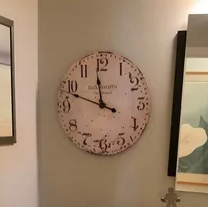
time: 11:48
